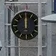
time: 11:59
